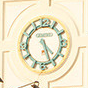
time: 4:26
